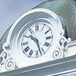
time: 10:27
